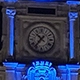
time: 10:36
